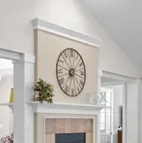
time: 7:17
